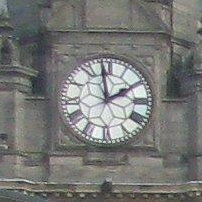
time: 1:58
